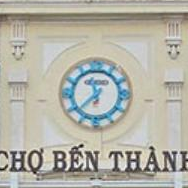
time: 11:37
